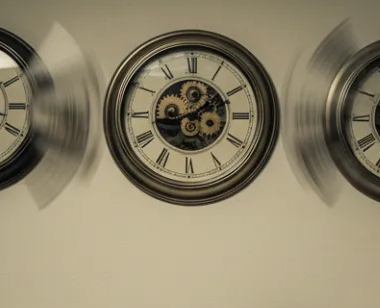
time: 1:43
